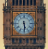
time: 5:29
